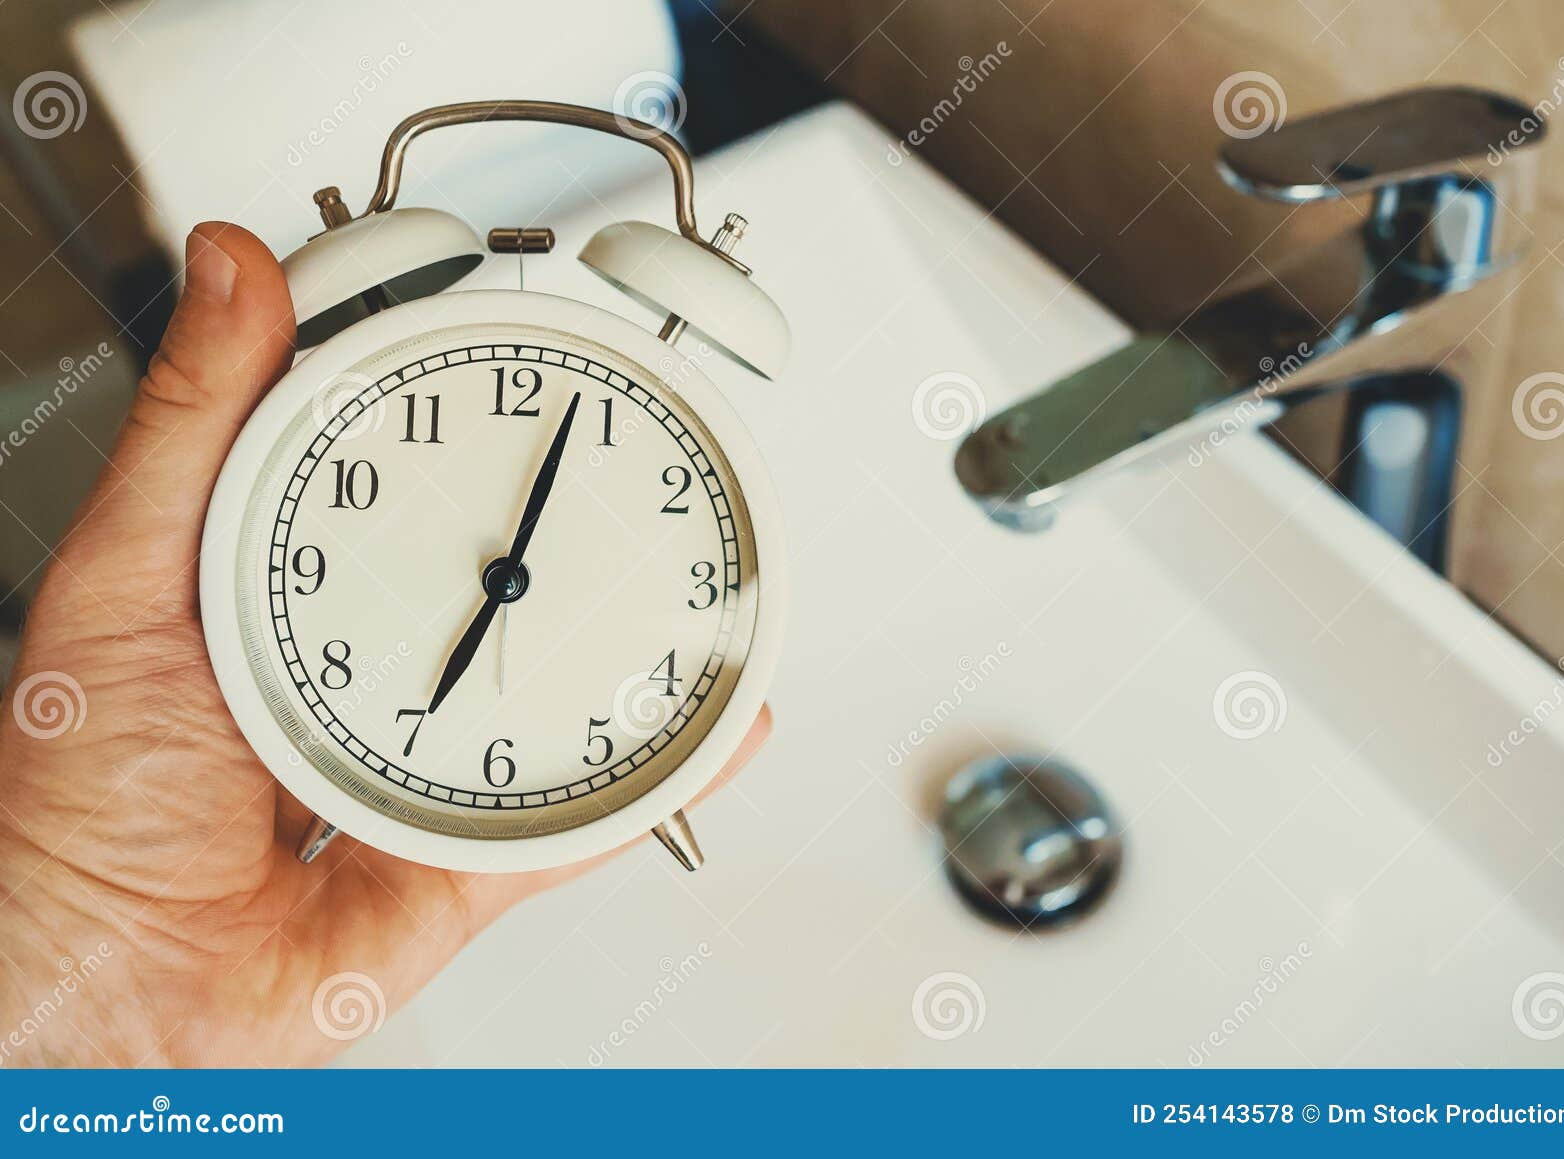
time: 7:03
